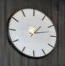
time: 1:12
